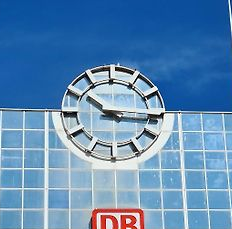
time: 10:15
